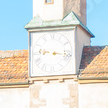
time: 9:17
